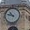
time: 10:47
